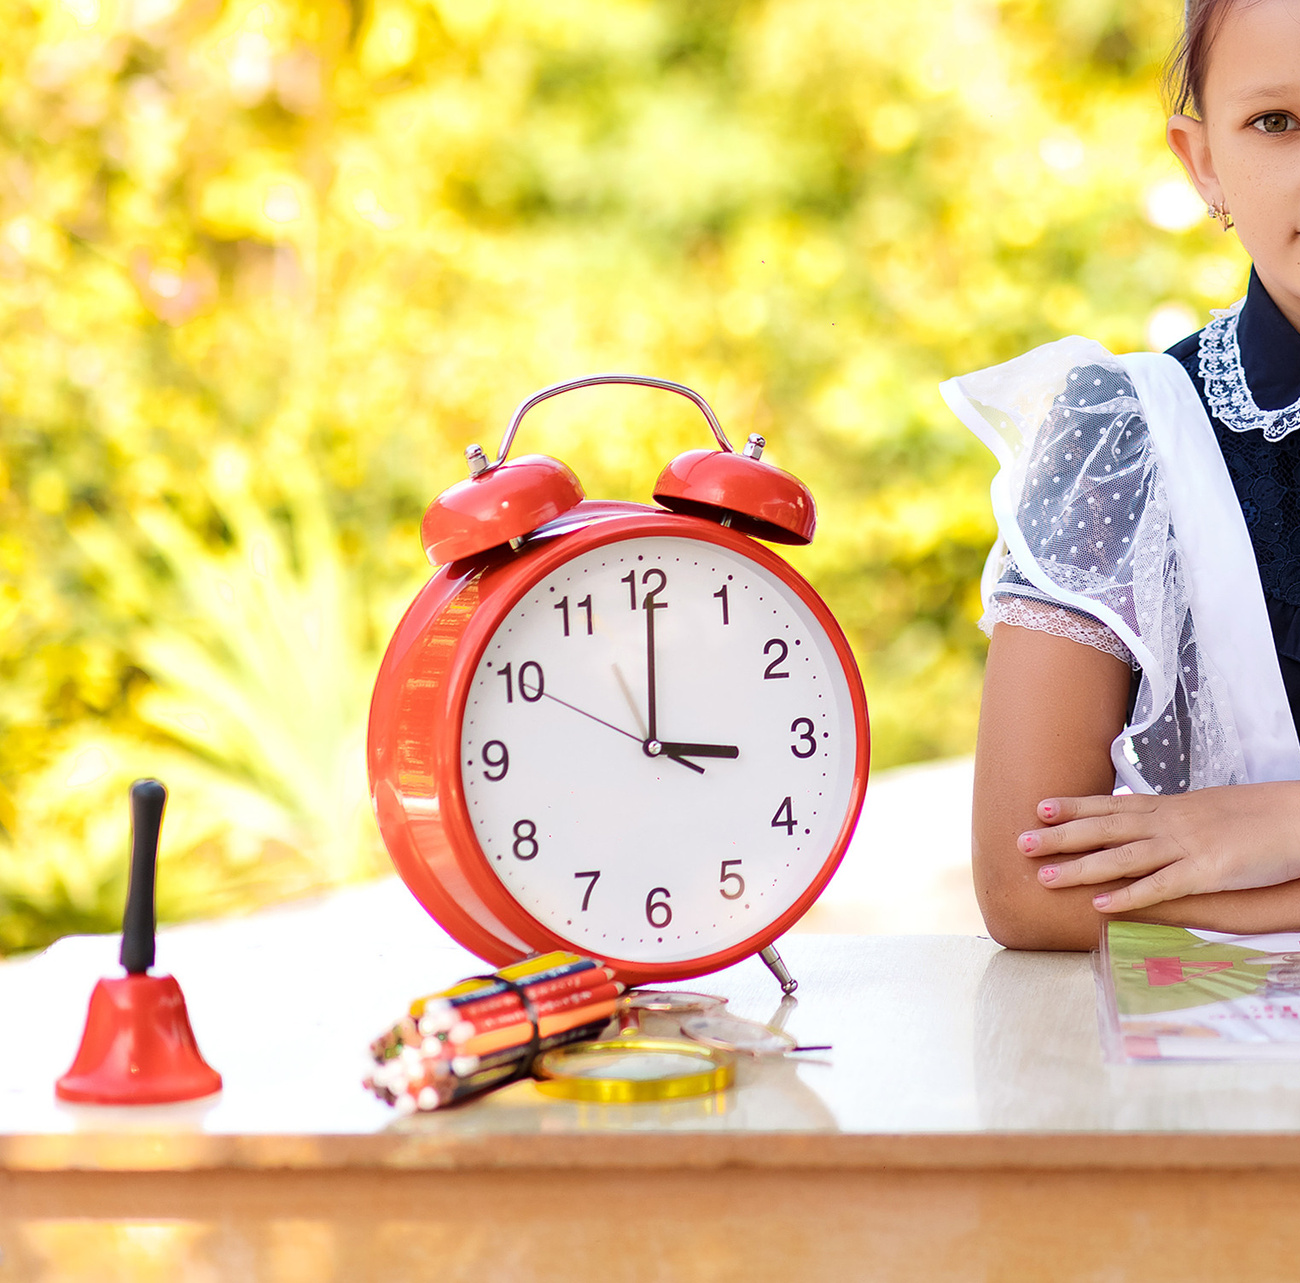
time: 3:00
